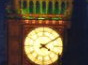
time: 4:09
